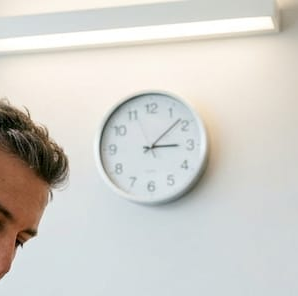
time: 3:08
